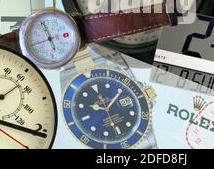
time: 9:05
